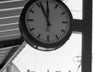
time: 11:56
